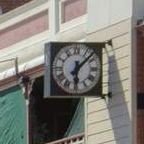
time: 6:07
